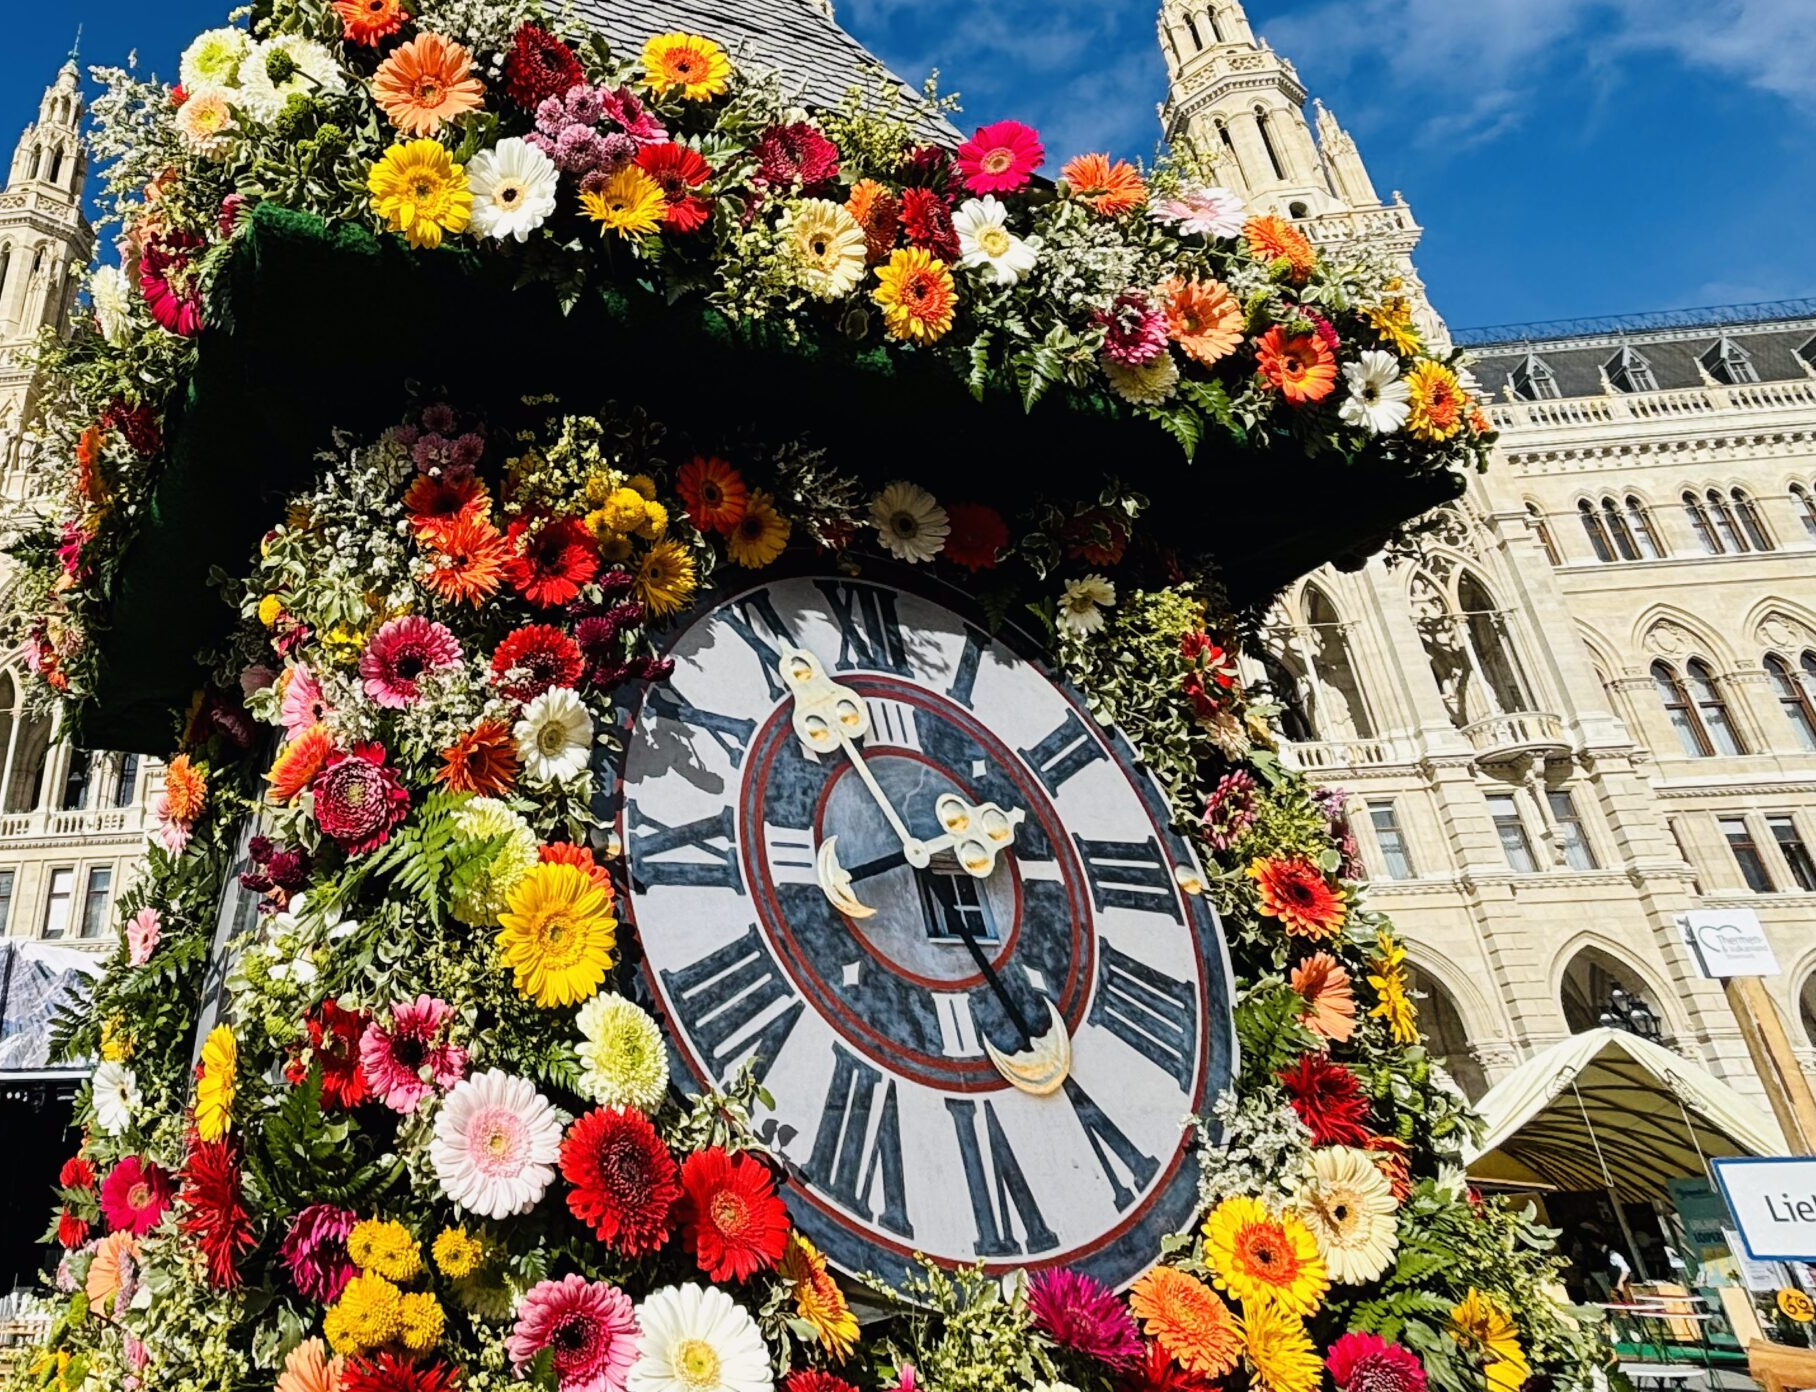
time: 2:24
